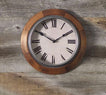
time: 1:50
